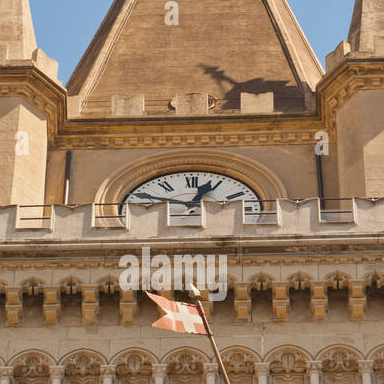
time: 12:49
